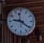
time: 9:21
